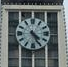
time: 4:26
